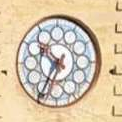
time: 10:34
